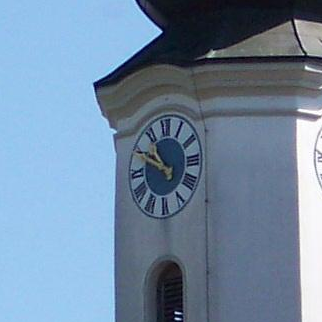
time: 10:50
